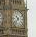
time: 10:37
